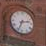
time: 2:33
